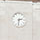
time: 2:31
